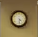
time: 4:31
